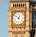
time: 12:52
